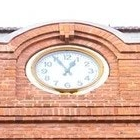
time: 12:55
